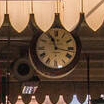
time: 11:16
